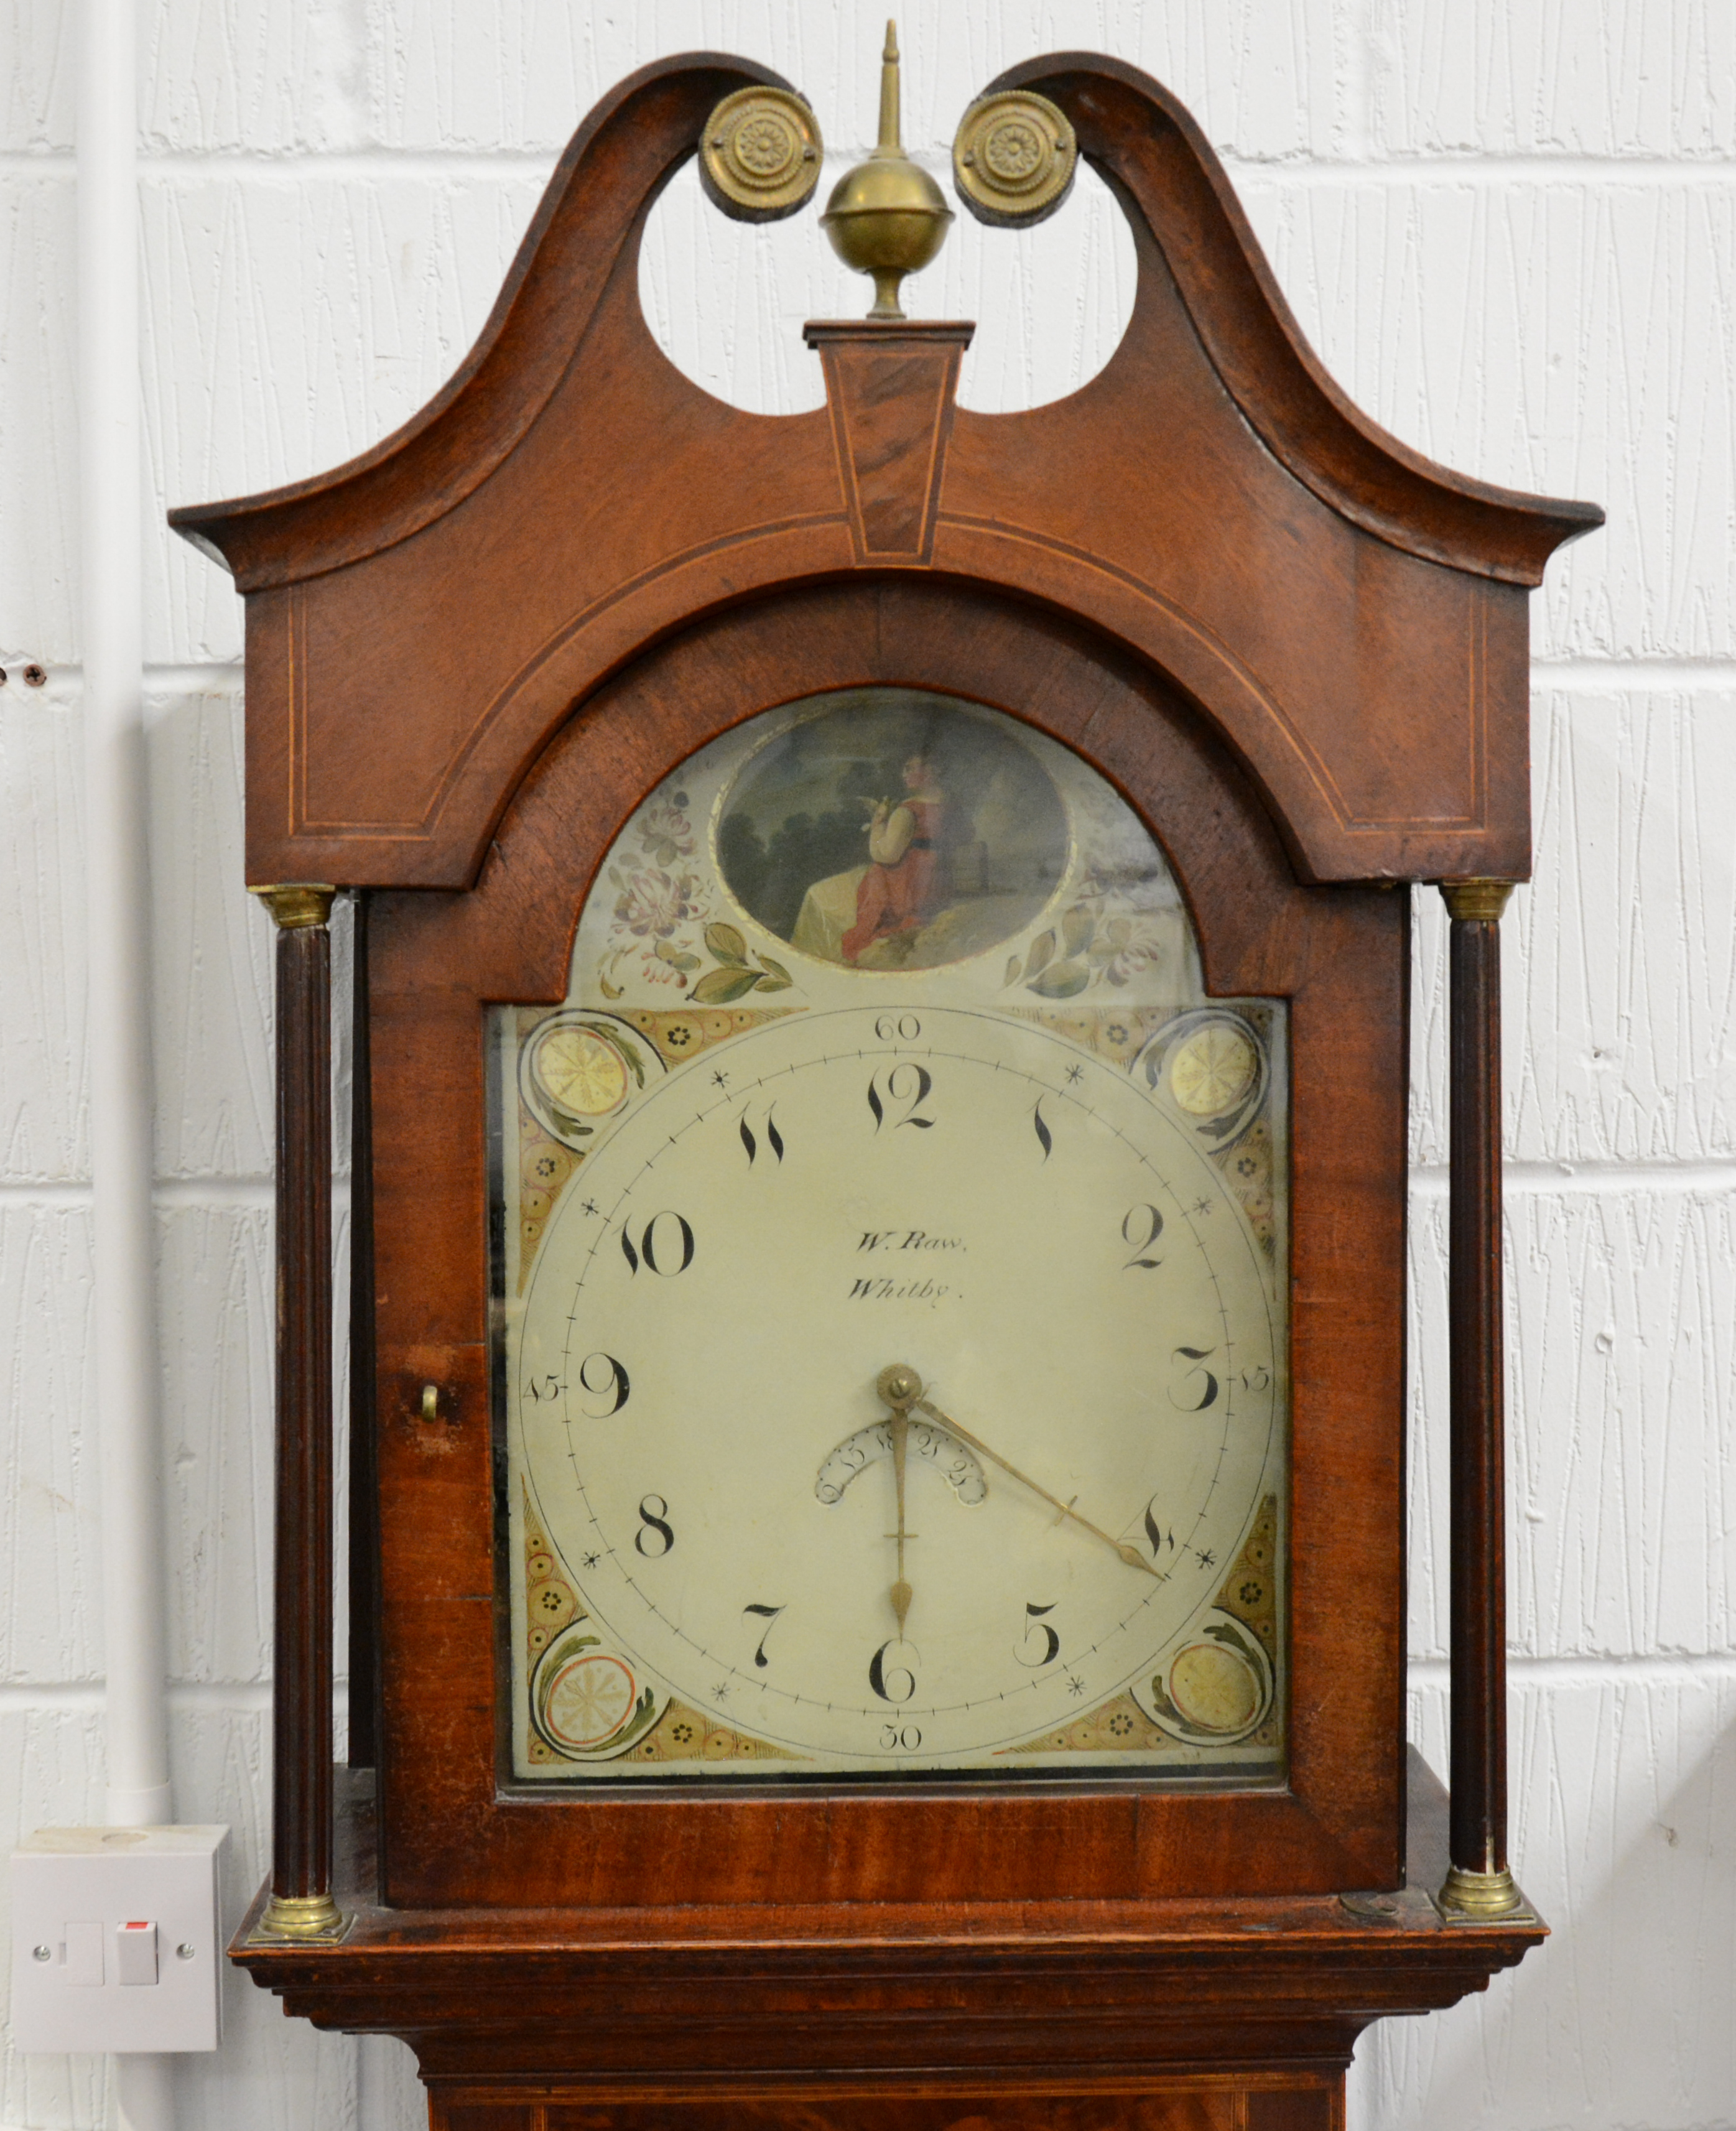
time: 6:20
